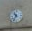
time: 10:36
